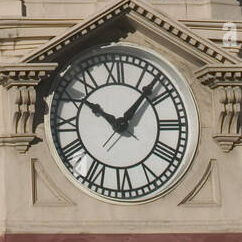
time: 10:07
